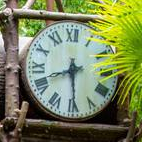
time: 8:29
